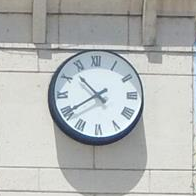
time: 10:39
